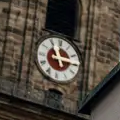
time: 11:14
